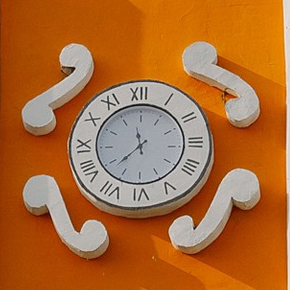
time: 11:37
